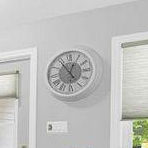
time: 12:54
